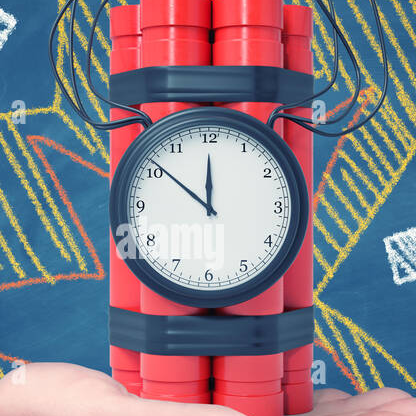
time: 11:51
